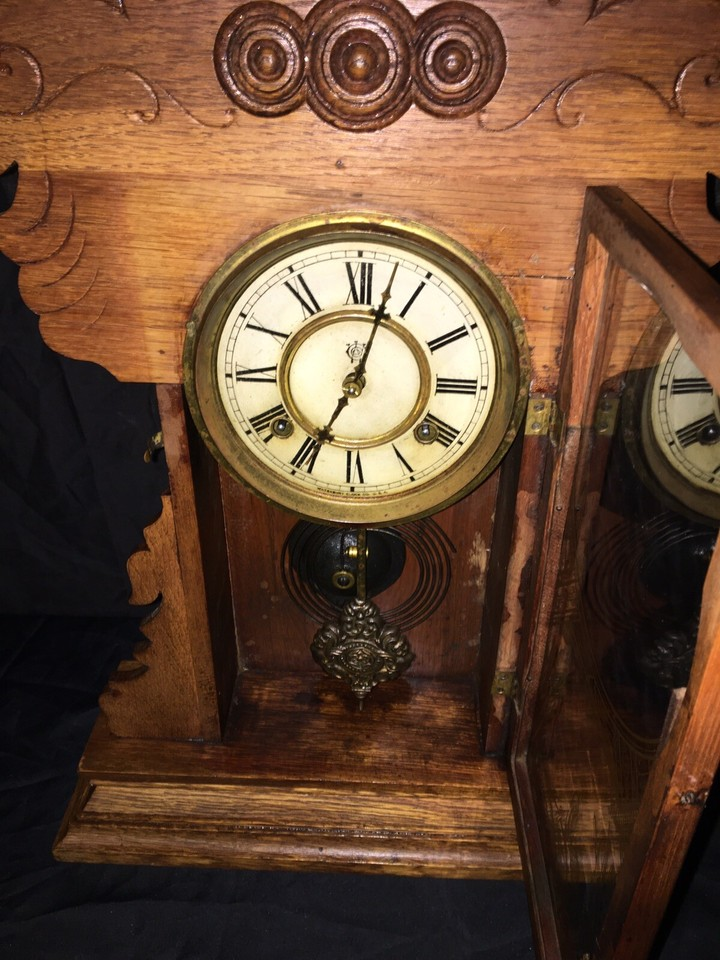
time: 12:34
